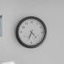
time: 4:33
